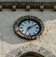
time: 7:09
